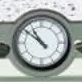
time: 10:51
